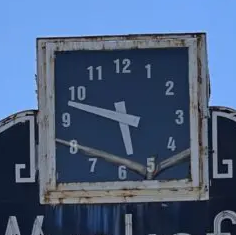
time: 5:47
